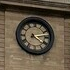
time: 4:13
